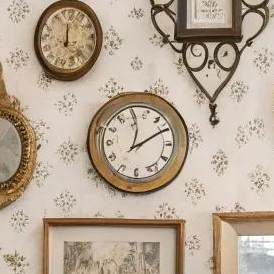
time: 12:09
